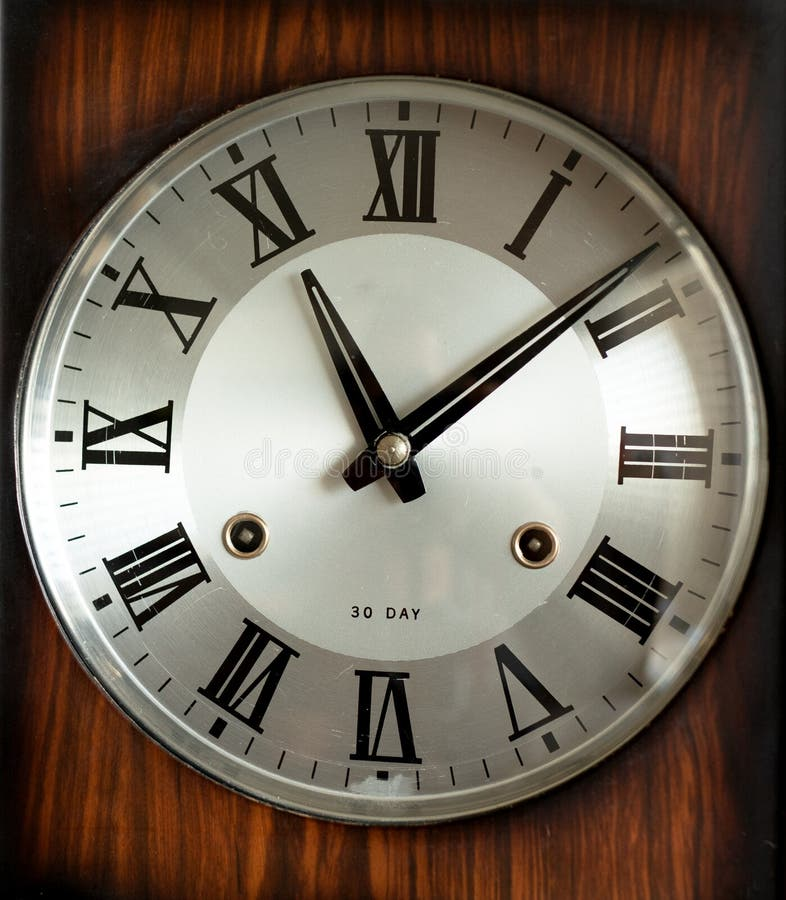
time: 11:08
